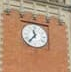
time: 11:36
